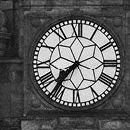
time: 7:36
